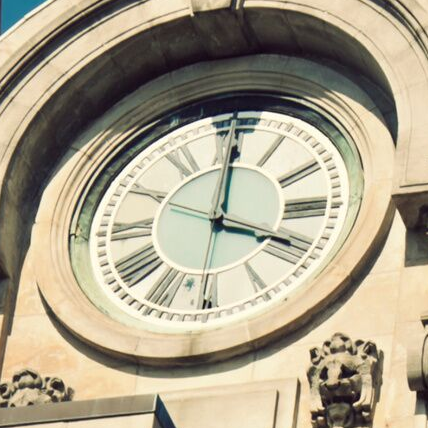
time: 4:00
